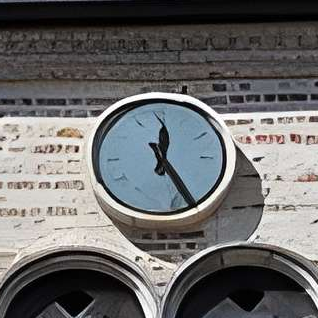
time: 12:24
